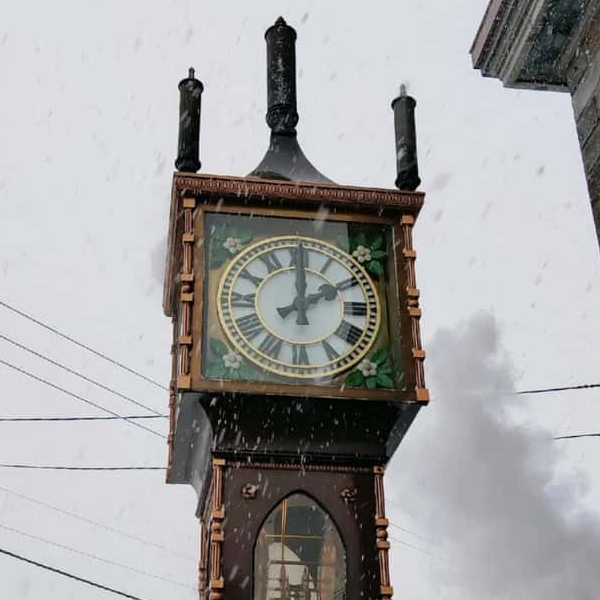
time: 2:00
